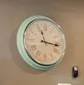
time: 11:16
